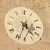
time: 4:33
